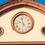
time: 9:57
